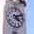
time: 4:12
